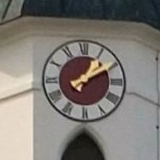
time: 1:09
